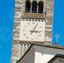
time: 3:04
